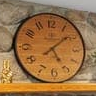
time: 5:08
